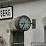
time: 8:34
